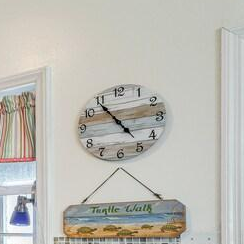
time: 4:54
